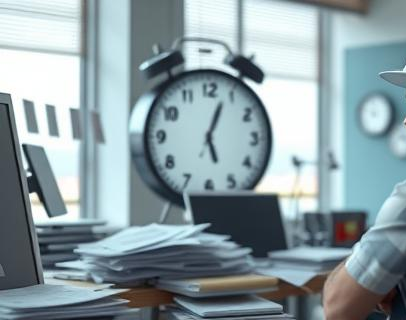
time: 5:03
